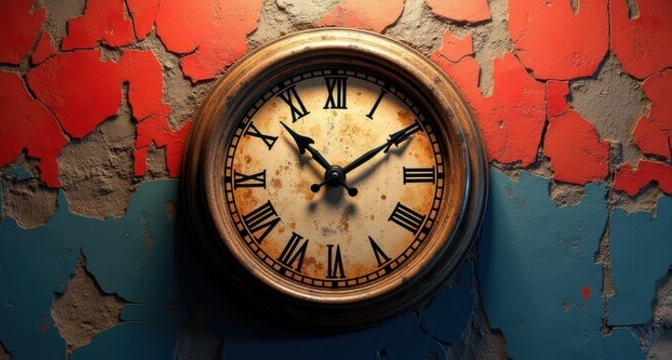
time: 1:52
